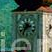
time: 2:36
